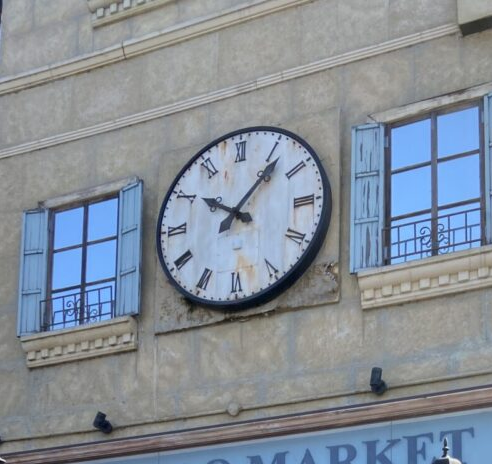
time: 10:07
